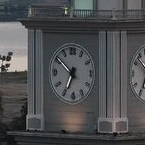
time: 6:51
